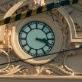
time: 3:18
